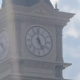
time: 4:59
